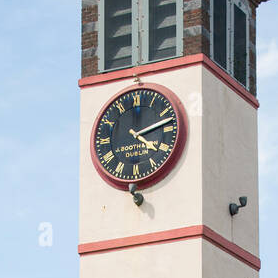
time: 4:12
